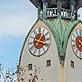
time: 1:18
